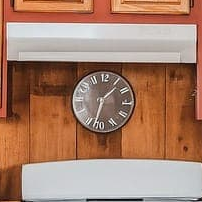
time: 1:32
